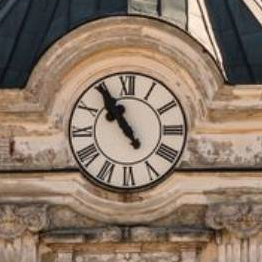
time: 10:54
